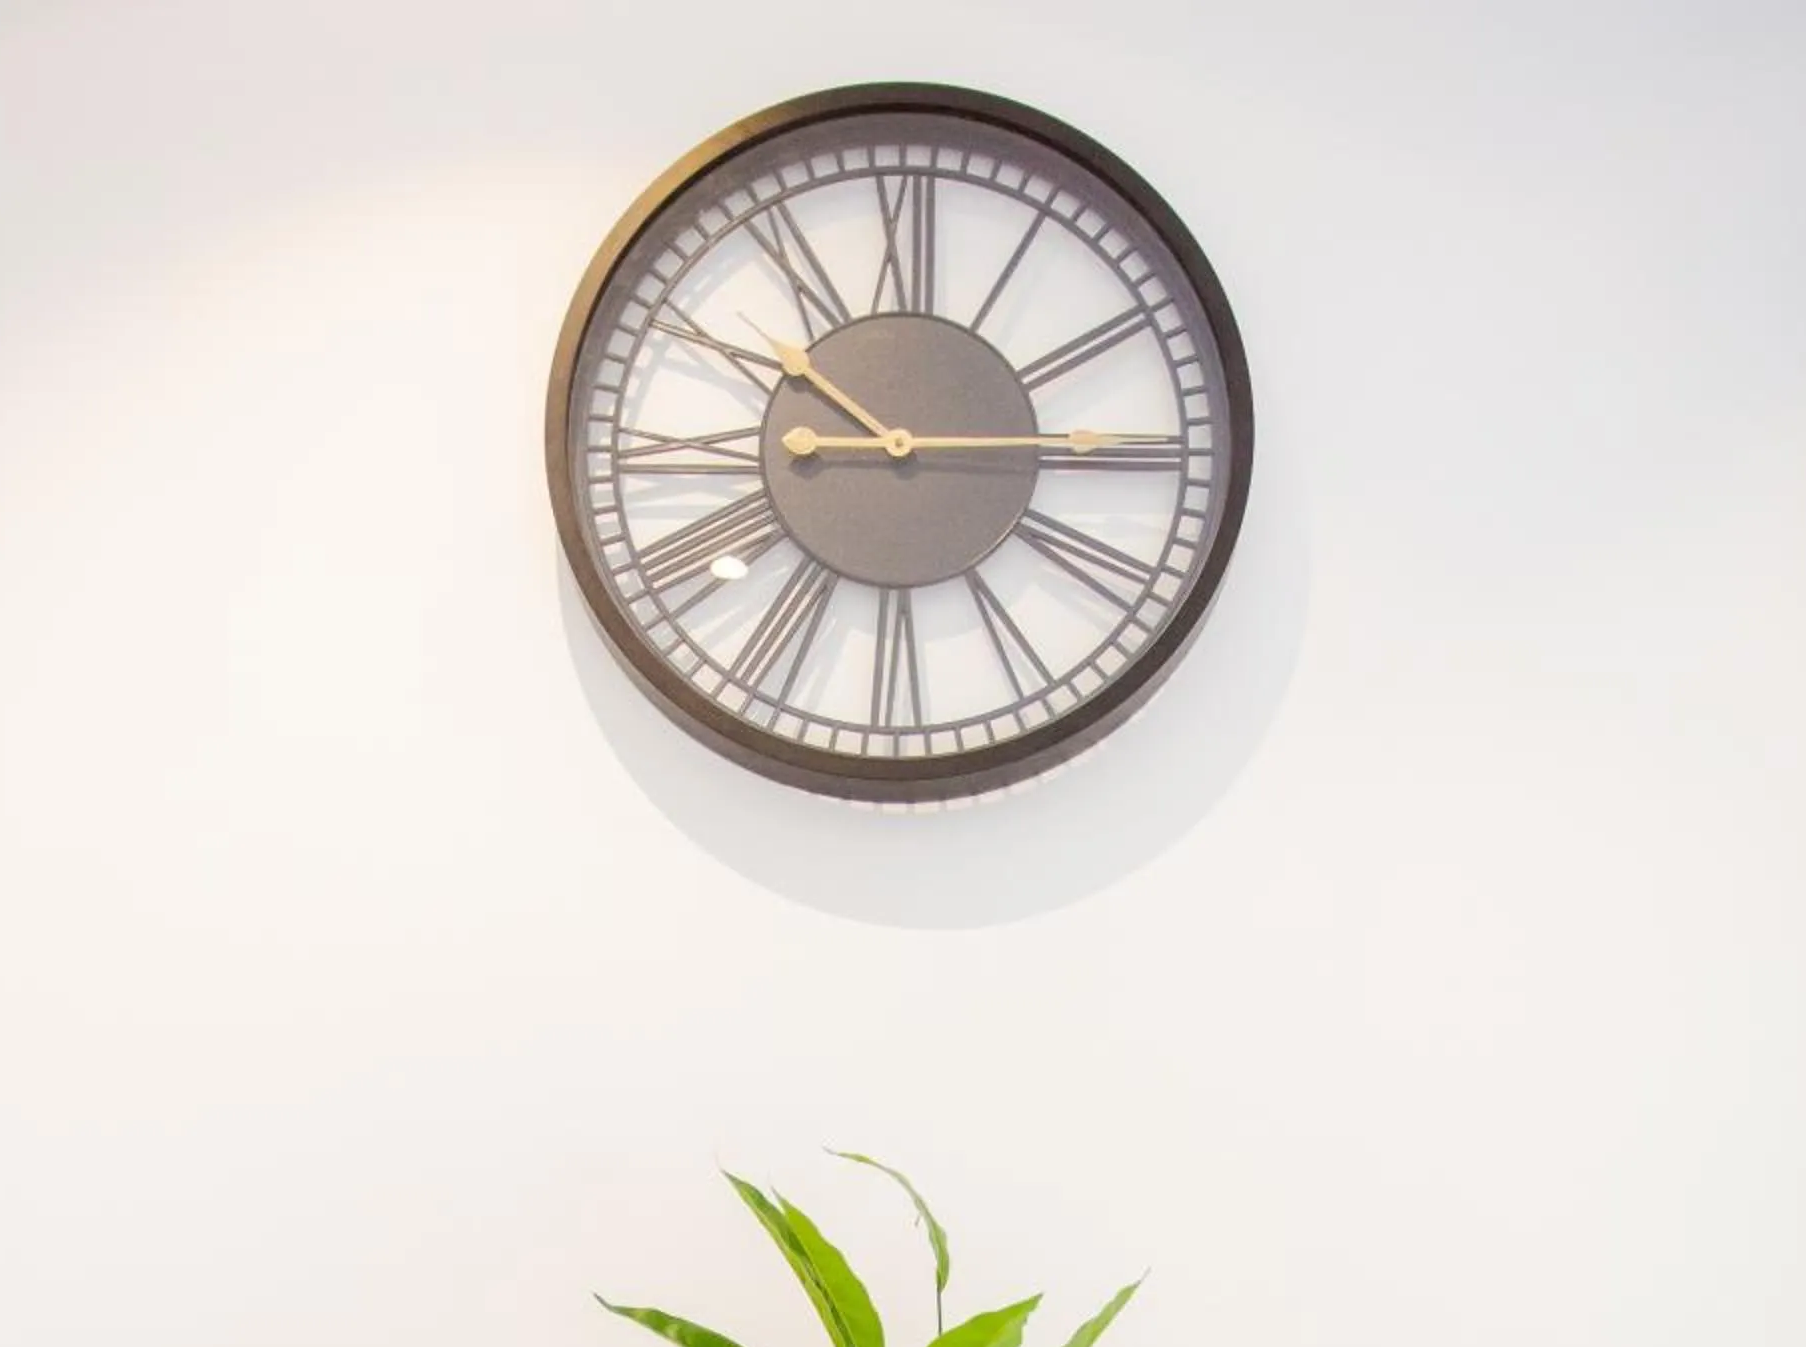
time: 10:14
